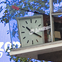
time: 10:19
